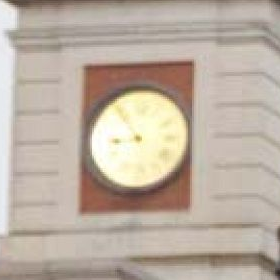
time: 8:53
